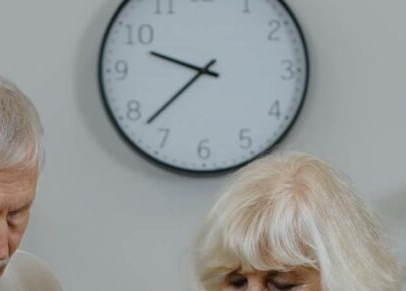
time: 9:37
